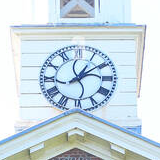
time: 1:09
